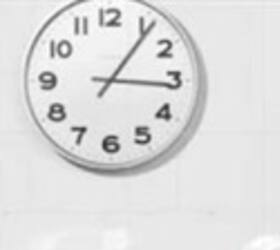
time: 3:06
